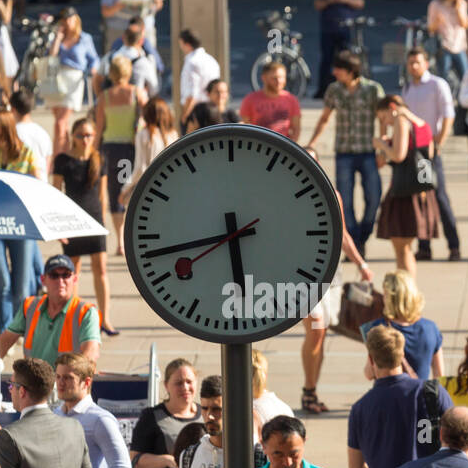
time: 5:43
